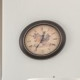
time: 12:35
